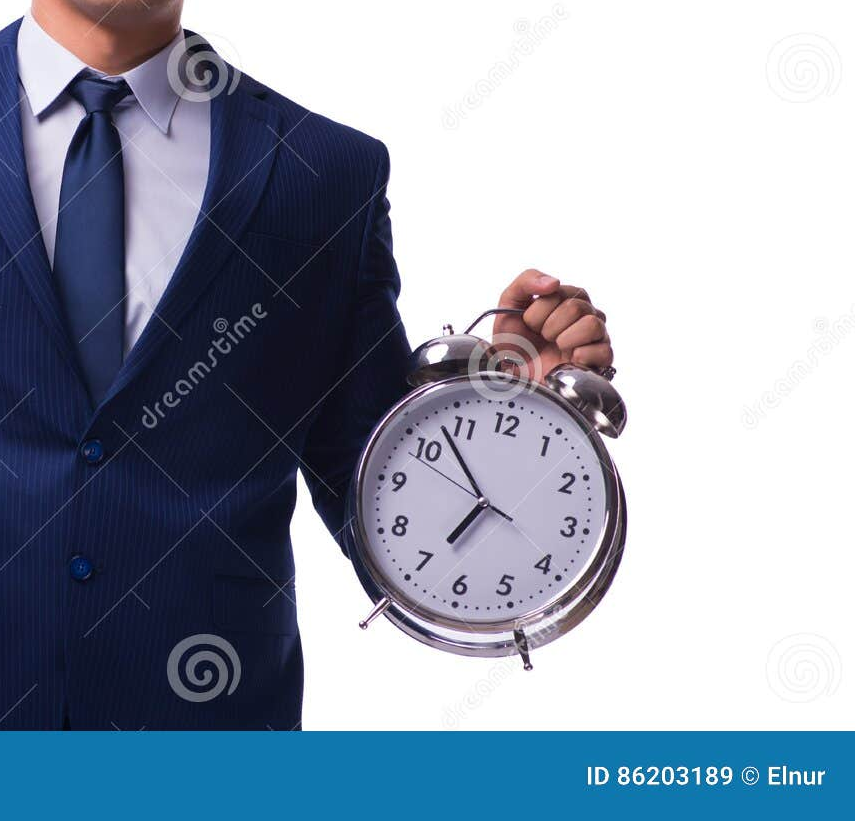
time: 6:53
